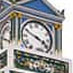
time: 3:48
